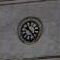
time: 10:23
